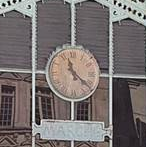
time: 11:21
